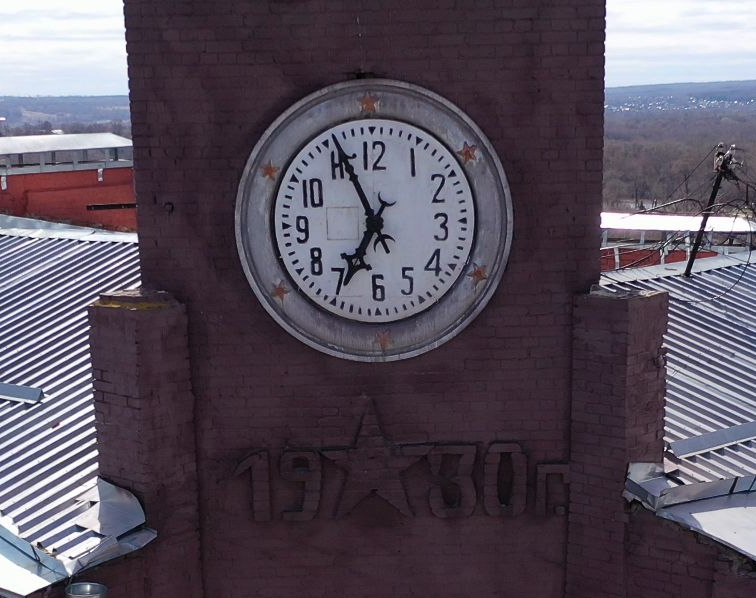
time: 6:55
